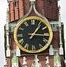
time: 1:16
